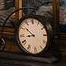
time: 8:51
